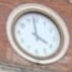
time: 3:58
